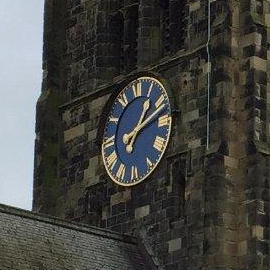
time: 1:11
